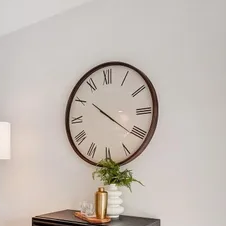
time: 10:20
